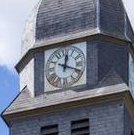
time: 12:19
